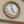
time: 4:59
